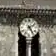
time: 2:24
